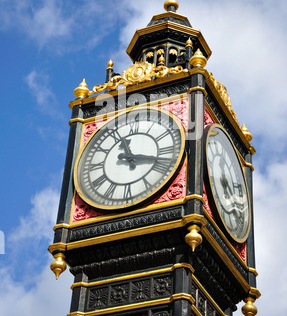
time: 11:17
